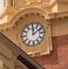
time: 12:09
